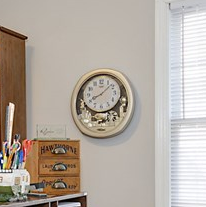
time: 8:07
